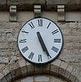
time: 11:25
